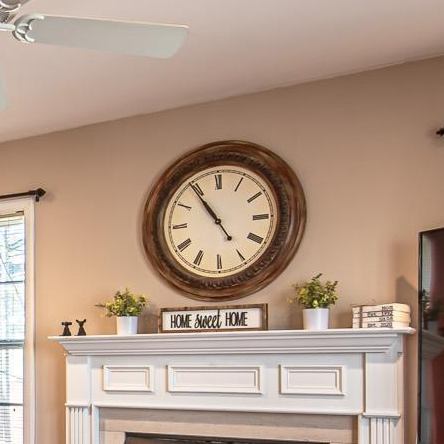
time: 10:54
